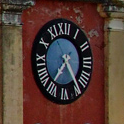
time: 4:36
